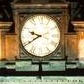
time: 9:40
